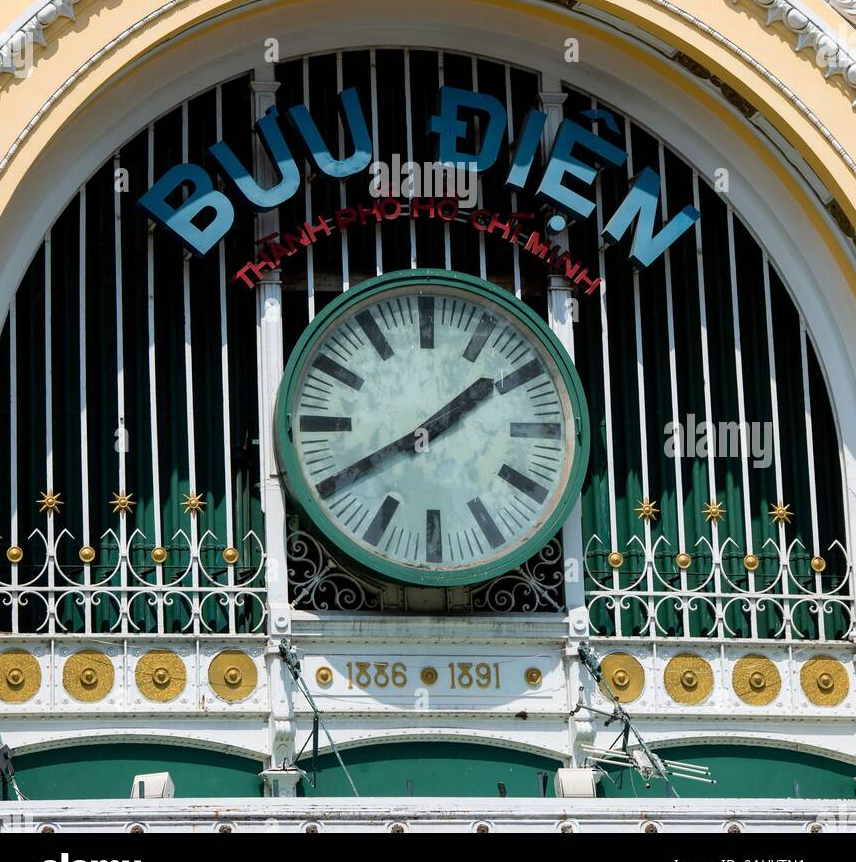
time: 1:40
